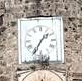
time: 1:35
